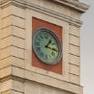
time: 1:16
